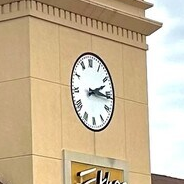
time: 2:16
